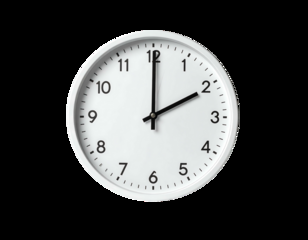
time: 2:00
